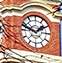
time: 1:47
